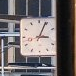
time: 3:04
